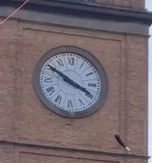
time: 3:50
